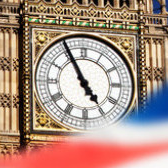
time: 4:55
